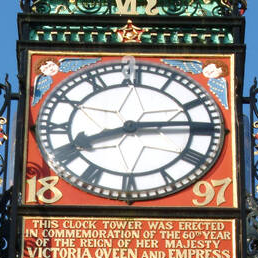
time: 8:14
